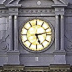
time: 5:12
